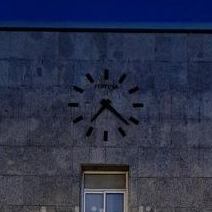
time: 7:22
